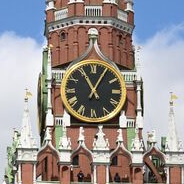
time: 11:04
